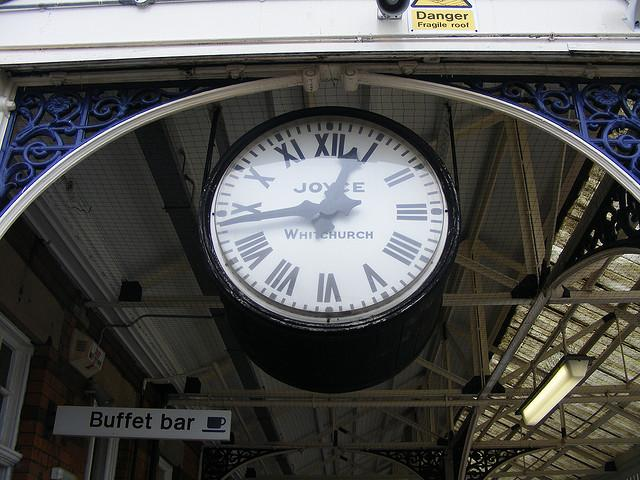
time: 12:43
